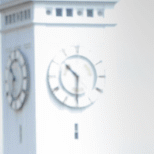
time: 10:30
